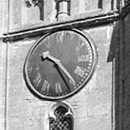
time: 10:24
